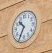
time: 10:34
